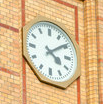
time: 4:09
